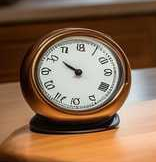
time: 9:50
